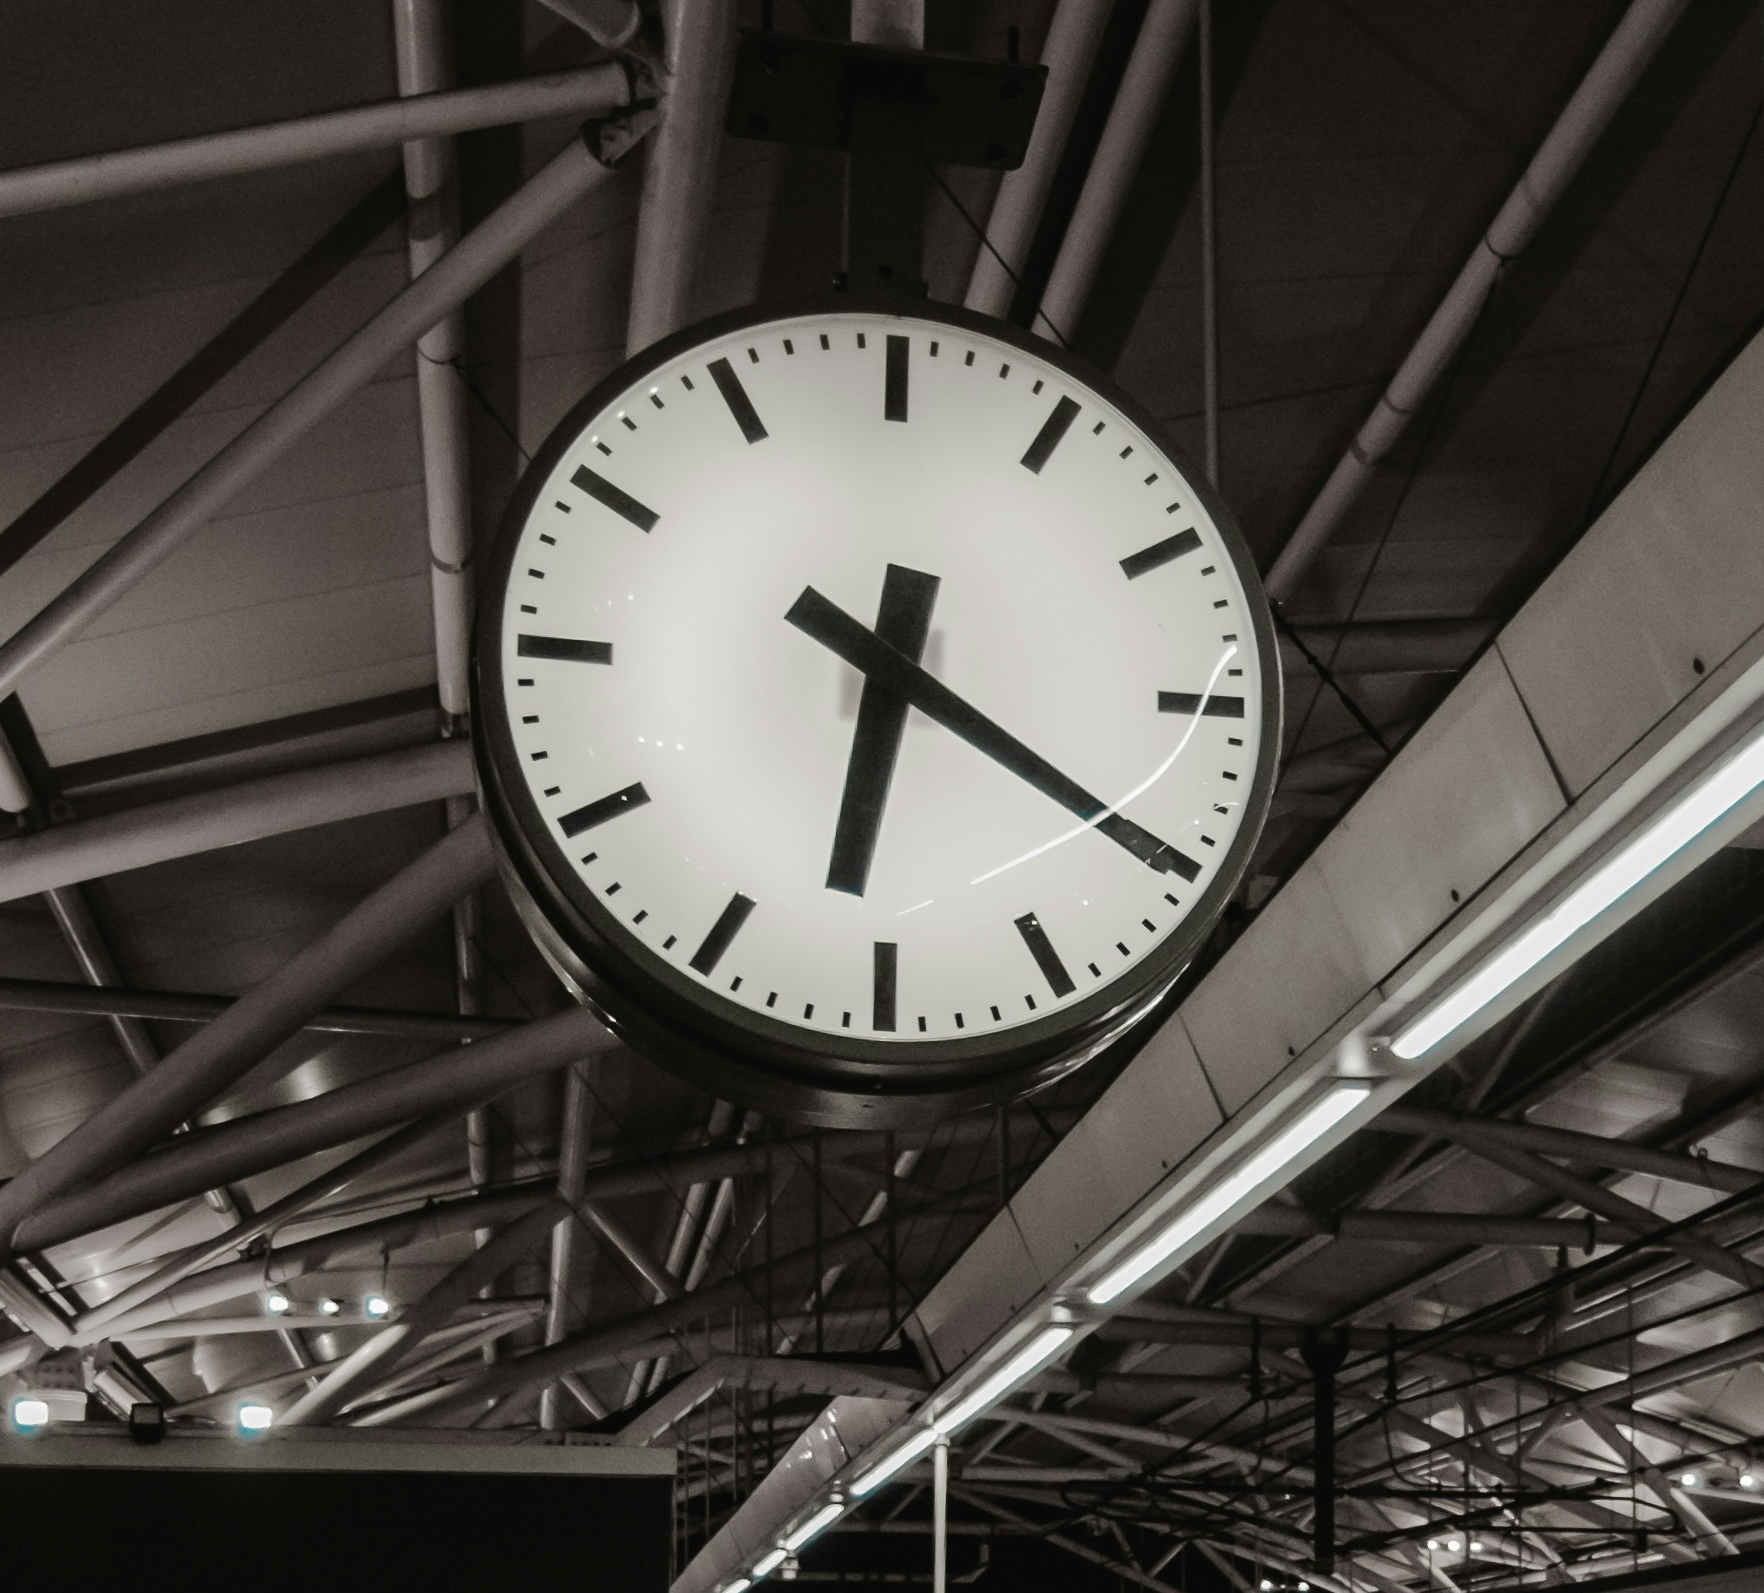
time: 6:20
